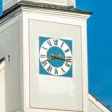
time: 8:16
